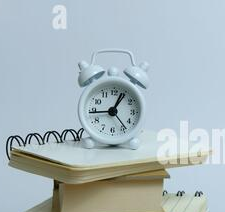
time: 12:44
